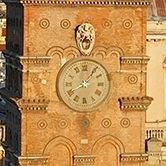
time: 8:06
